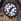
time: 1:33
